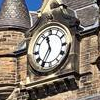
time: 11:35
